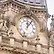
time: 12:06
